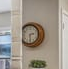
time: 2:29
